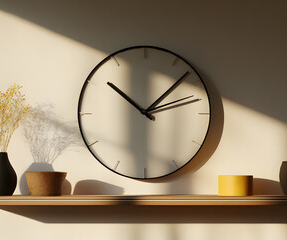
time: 10:07
